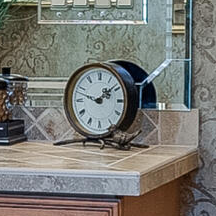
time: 1:47
